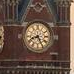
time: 8:25
